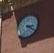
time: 3:21
